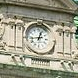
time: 12:43
